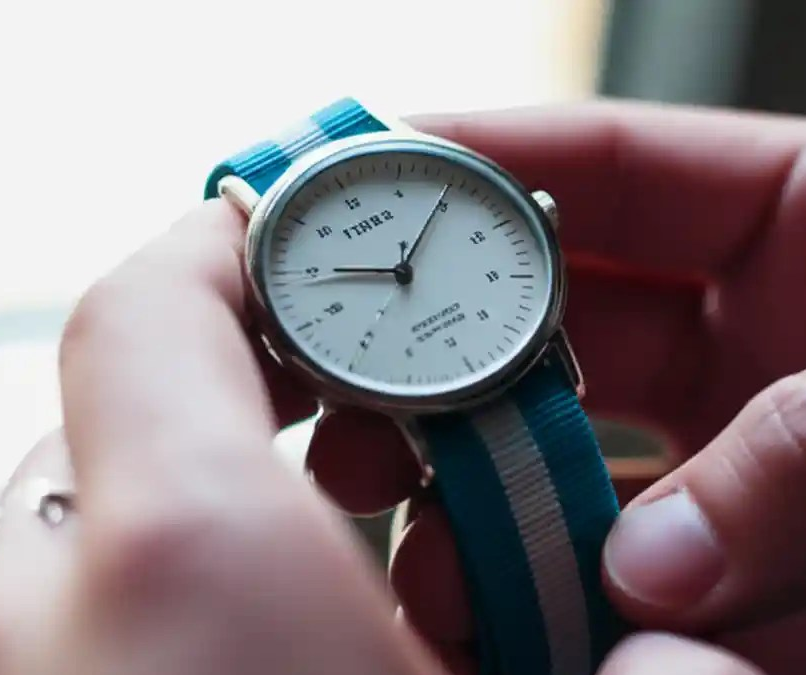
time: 9:04
